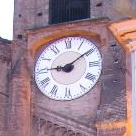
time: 9:09
